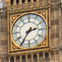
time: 2:35
